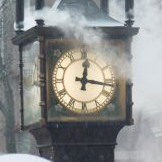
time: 12:16
